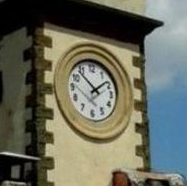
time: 1:52
